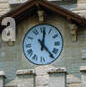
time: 12:23
